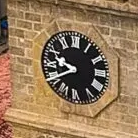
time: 9:40
